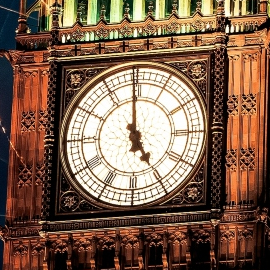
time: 4:59
